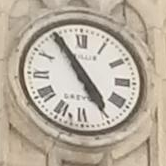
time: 4:54
